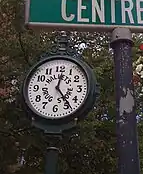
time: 12:23
